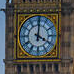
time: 4:01
